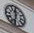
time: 11:32
